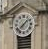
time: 7:07
